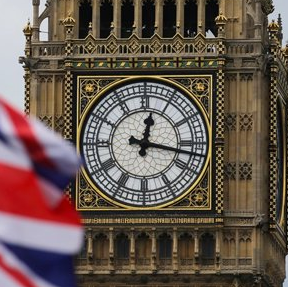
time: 12:17
